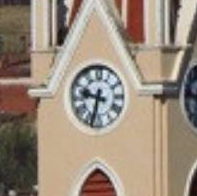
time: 9:33
